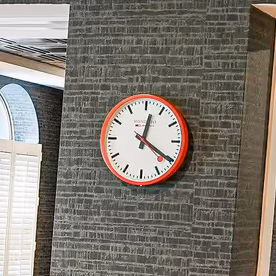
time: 12:20
